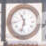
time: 11:32
